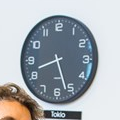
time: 8:26
